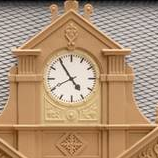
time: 4:54
